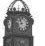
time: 10:42
